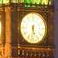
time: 5:31
